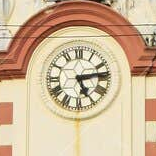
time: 5:13
